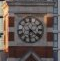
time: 6:21
